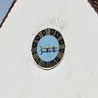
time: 8:14
